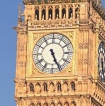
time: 5:26
